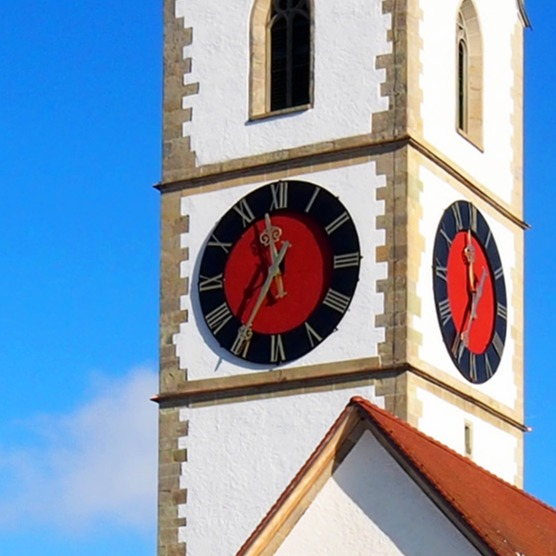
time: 11:35
